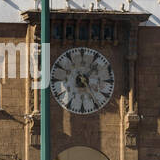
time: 1:24
